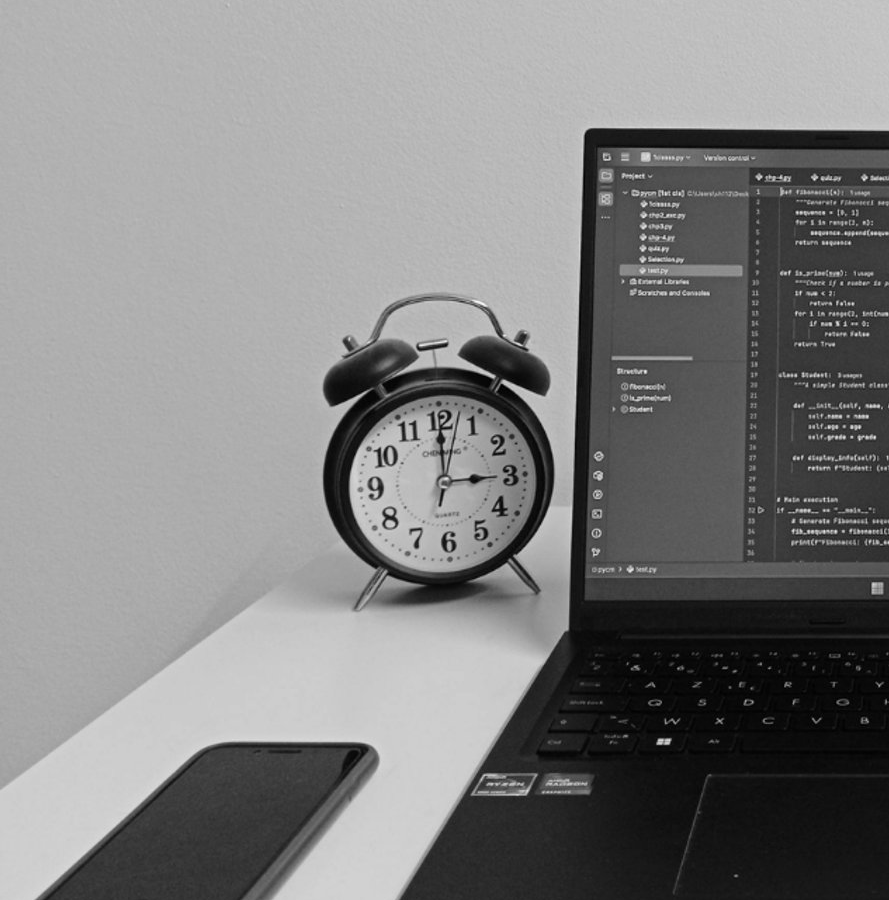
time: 3:00
